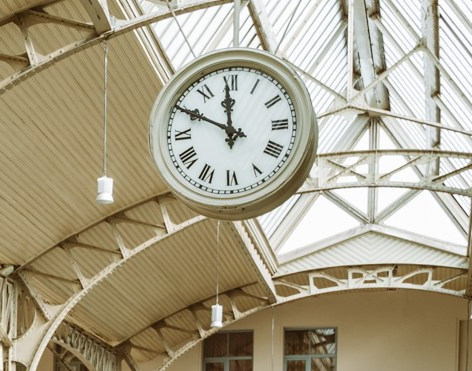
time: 11:49
